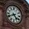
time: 4:40
